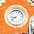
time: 8:38
